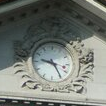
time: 9:25
